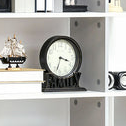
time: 3:33
